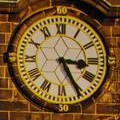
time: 3:25
